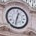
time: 12:32
